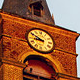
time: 8:50
